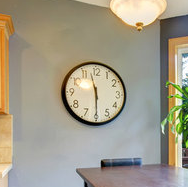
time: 11:29
